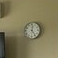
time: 12:23
